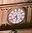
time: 5:38
